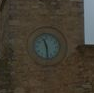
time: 11:29
